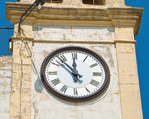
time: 11:52
